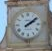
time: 2:08
